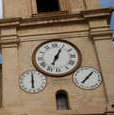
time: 7:04
